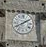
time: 8:09
